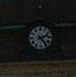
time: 2:24
